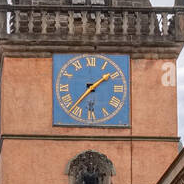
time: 1:37
